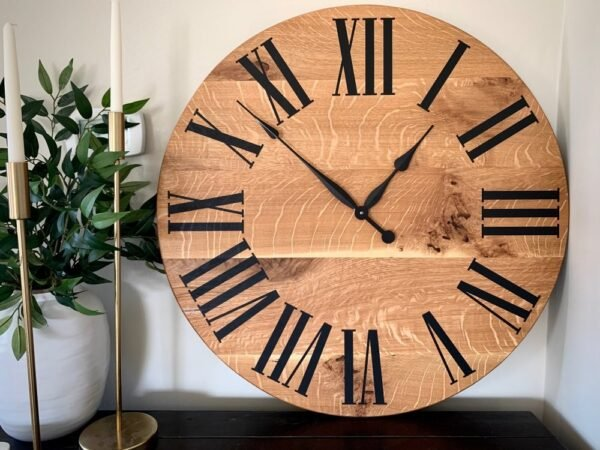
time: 12:52
